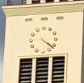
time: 4:22
